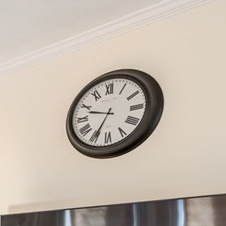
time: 9:34
